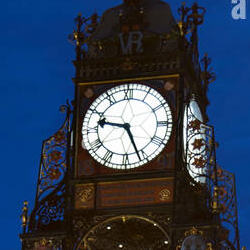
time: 9:26
